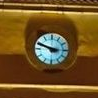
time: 2:48
